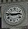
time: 2:46
